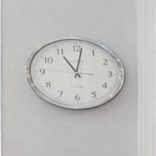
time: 11:01
